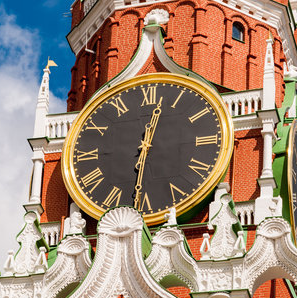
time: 12:31
